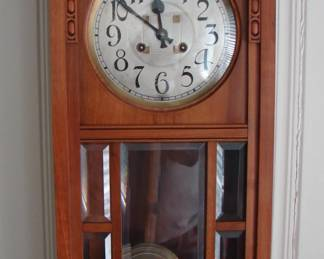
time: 11:51
